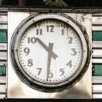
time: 10:31
